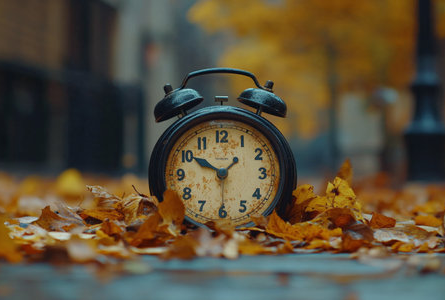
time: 10:07
